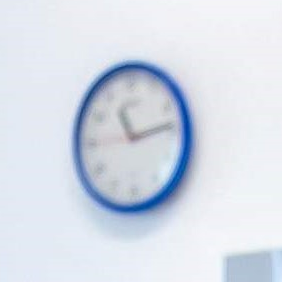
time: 11:13
